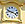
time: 3:48
